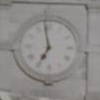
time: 6:58
